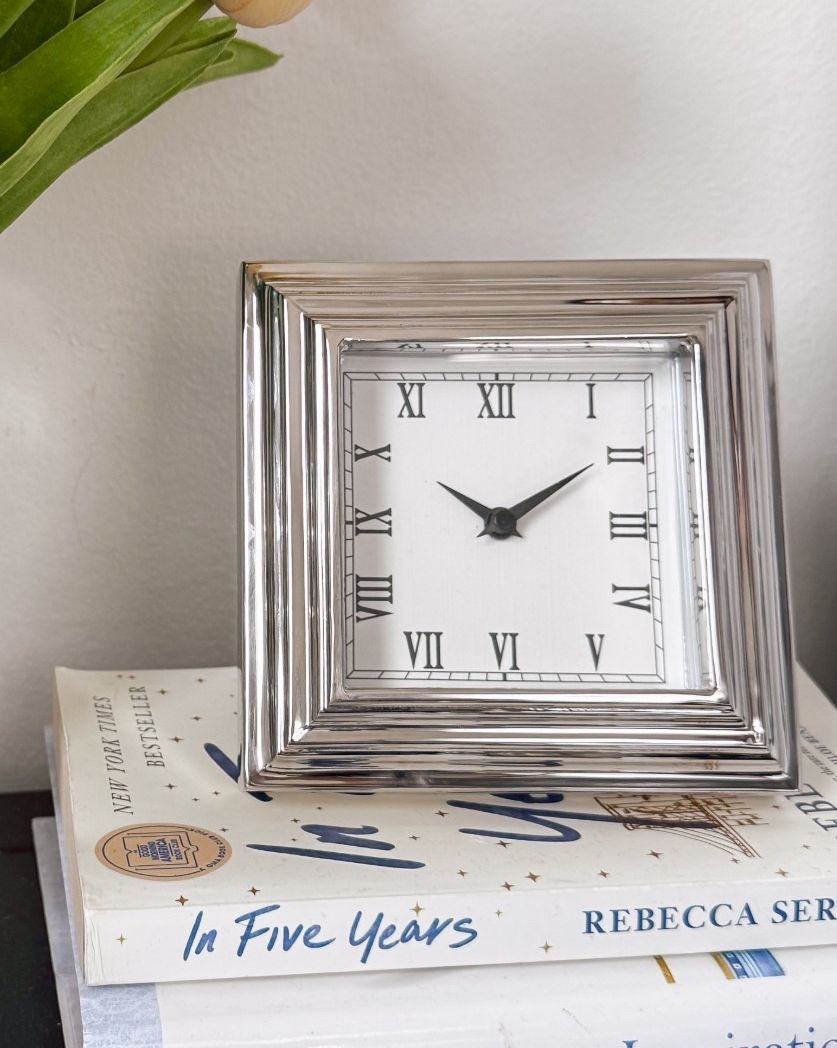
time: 10:09
